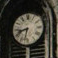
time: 8:32
